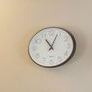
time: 11:03
